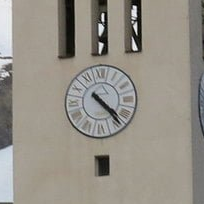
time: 4:23
